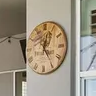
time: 12:24
